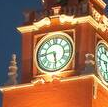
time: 5:44
